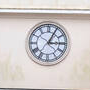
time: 3:04
